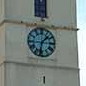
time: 1:32
